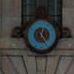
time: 12:24
